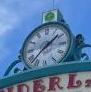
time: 1:37
